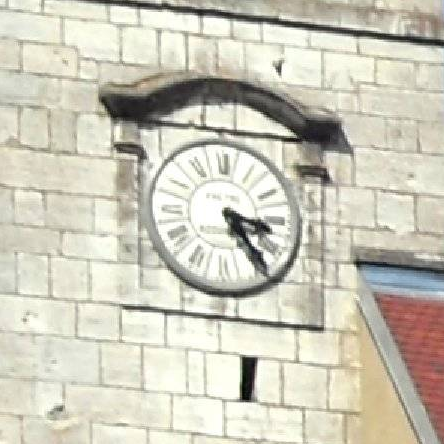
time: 3:23
